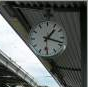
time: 1:18
